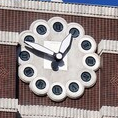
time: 12:48
